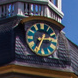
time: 2:34
